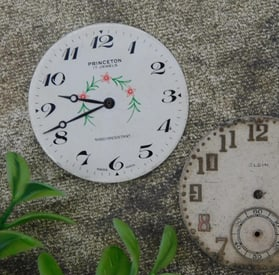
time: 9:41
